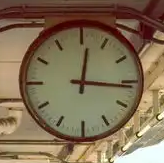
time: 12:16
